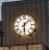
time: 6:08
